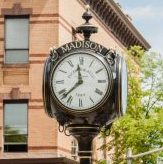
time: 11:37
